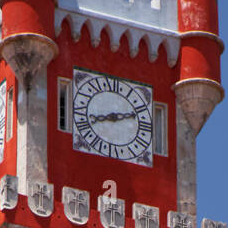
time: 8:11
